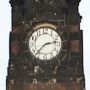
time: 2:37
